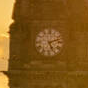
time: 5:12
